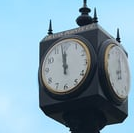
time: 11:58
